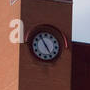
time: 4:54
